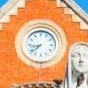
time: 8:38
